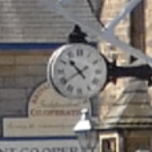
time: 10:39
